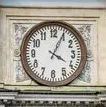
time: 4:04
